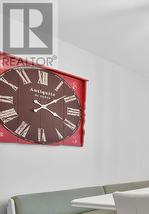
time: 4:08
